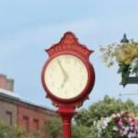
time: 6:55
